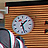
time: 1:27
